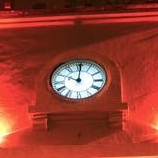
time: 10:00
